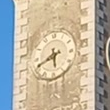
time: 5:40
